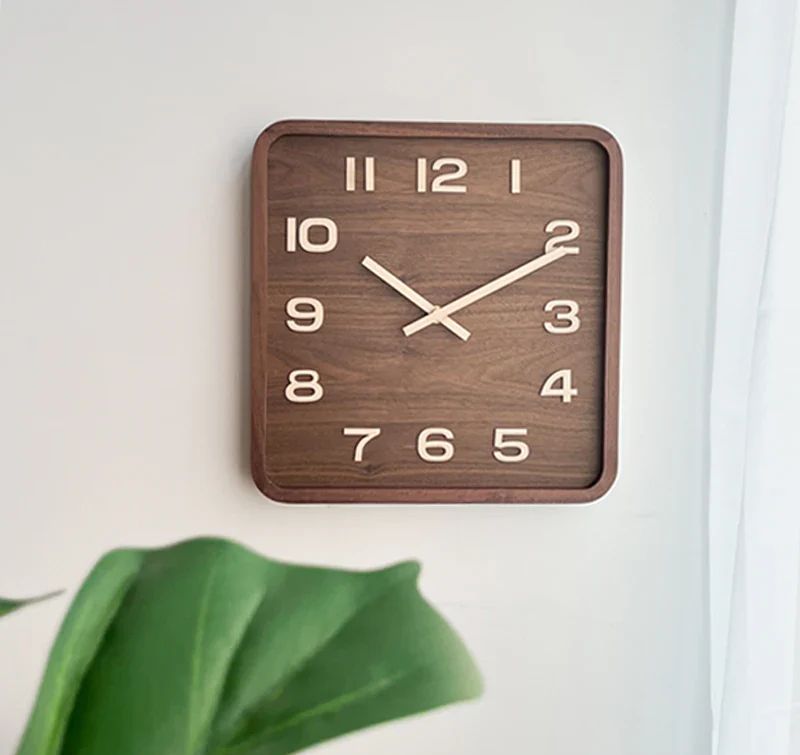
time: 10:10
